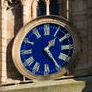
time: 1:24
